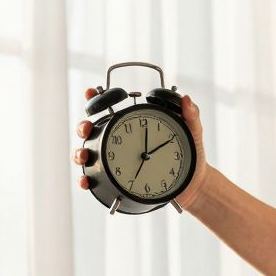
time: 12:10
